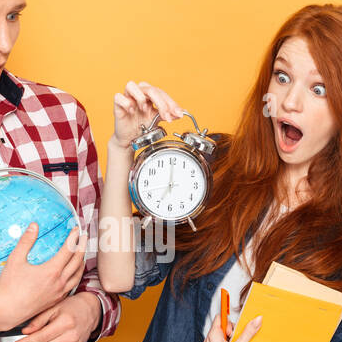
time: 7:00
